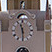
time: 11:29
